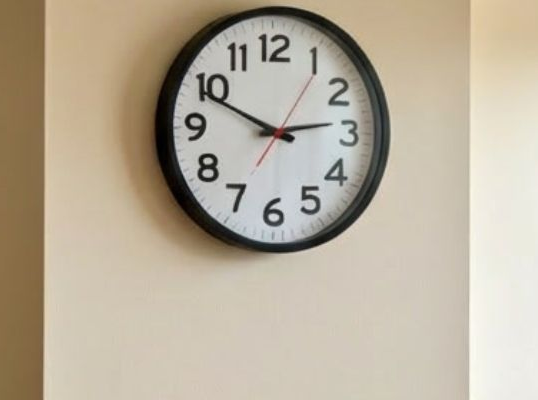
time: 2:48
